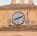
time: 8:11
